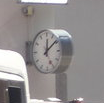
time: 12:08
